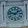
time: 1:46
